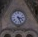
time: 3:26
